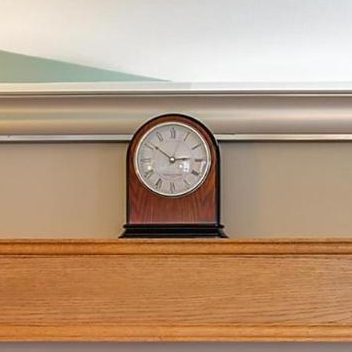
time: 2:51
